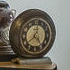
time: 12:23
